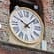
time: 10:07
